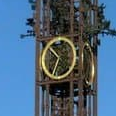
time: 10:34
